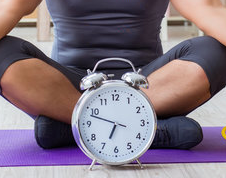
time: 6:47
